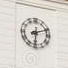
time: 6:11
